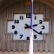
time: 2:21
